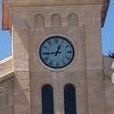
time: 12:44
